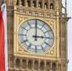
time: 3:00
